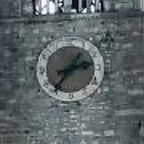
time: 2:36
